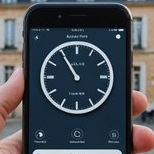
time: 10:54
